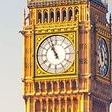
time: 10:56
